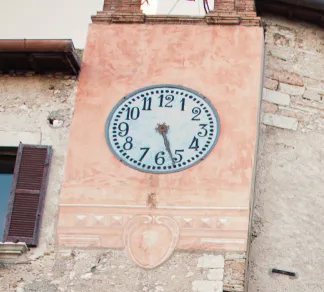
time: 5:26
